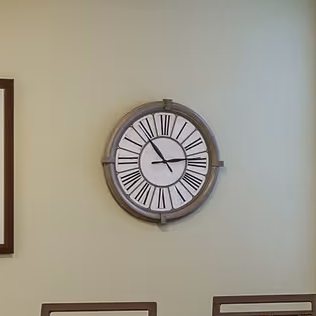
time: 2:53
